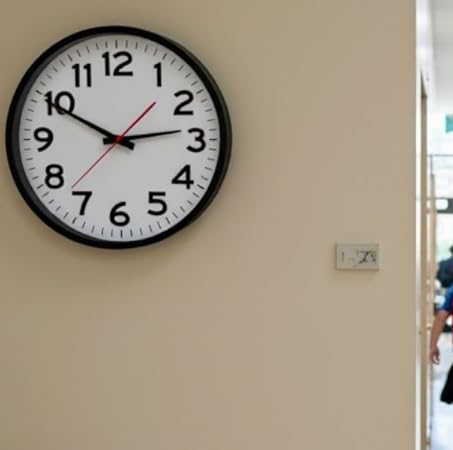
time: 2:49
